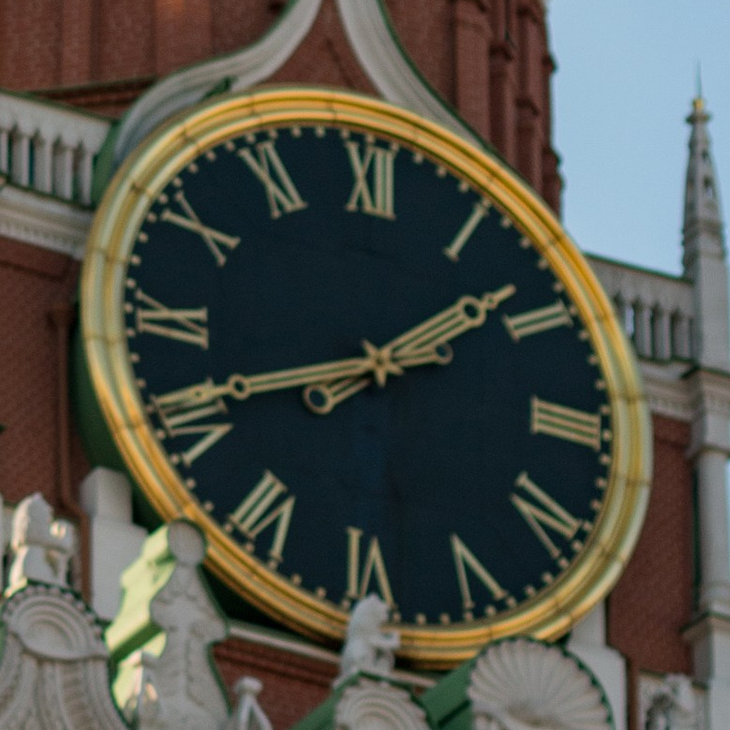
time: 1:41
